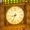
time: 8:33
